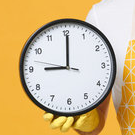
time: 9:00
